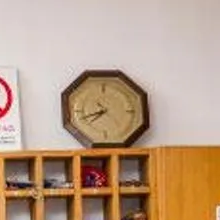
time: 7:40
